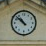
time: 10:52
